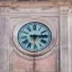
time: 6:14
